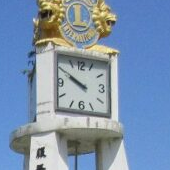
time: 9:50
